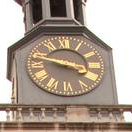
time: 3:47
